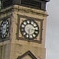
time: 6:14
